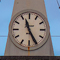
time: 11:25
